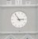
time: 2:54
